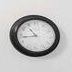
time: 10:43
